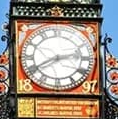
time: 2:40
